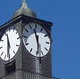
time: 11:29
